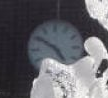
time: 4:50
